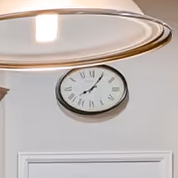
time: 8:05
